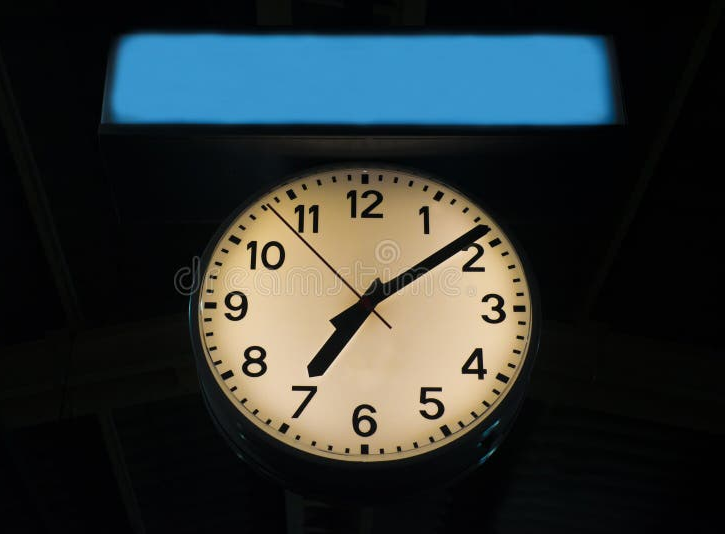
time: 7:08
